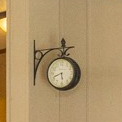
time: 5:41
